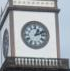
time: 1:11
